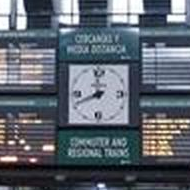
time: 11:41
